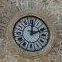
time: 12:11
